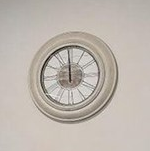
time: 11:59
